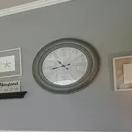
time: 10:43
